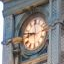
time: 8:46
